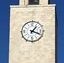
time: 1:18
